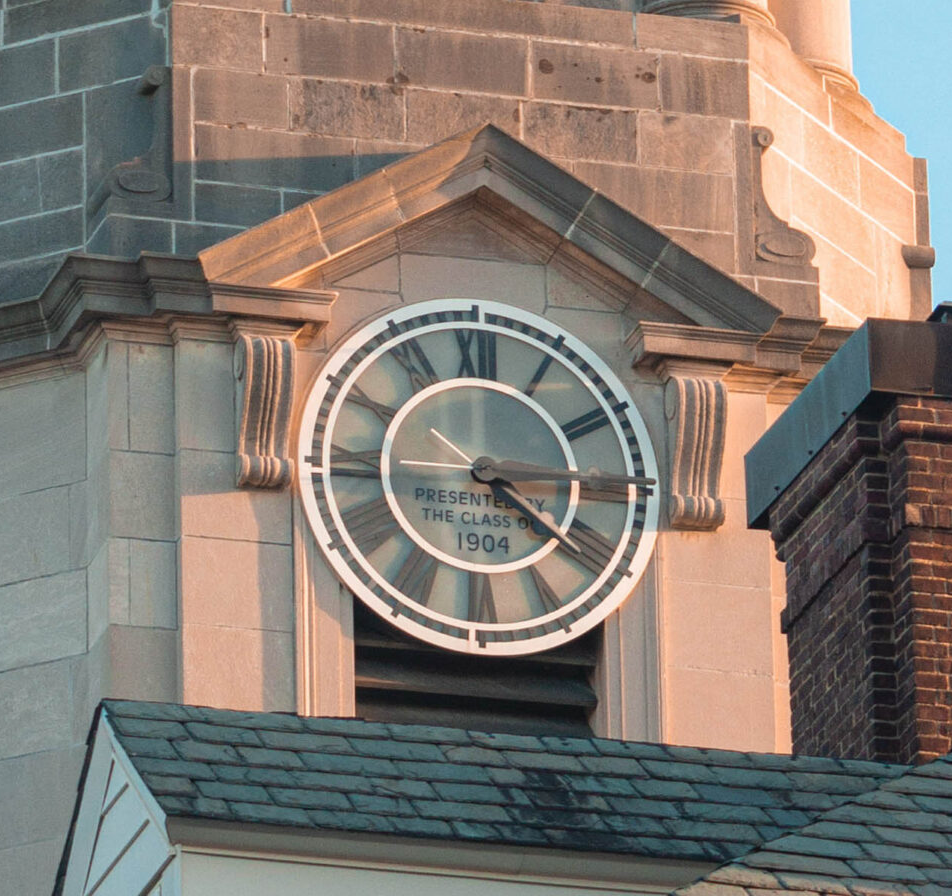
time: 4:14
